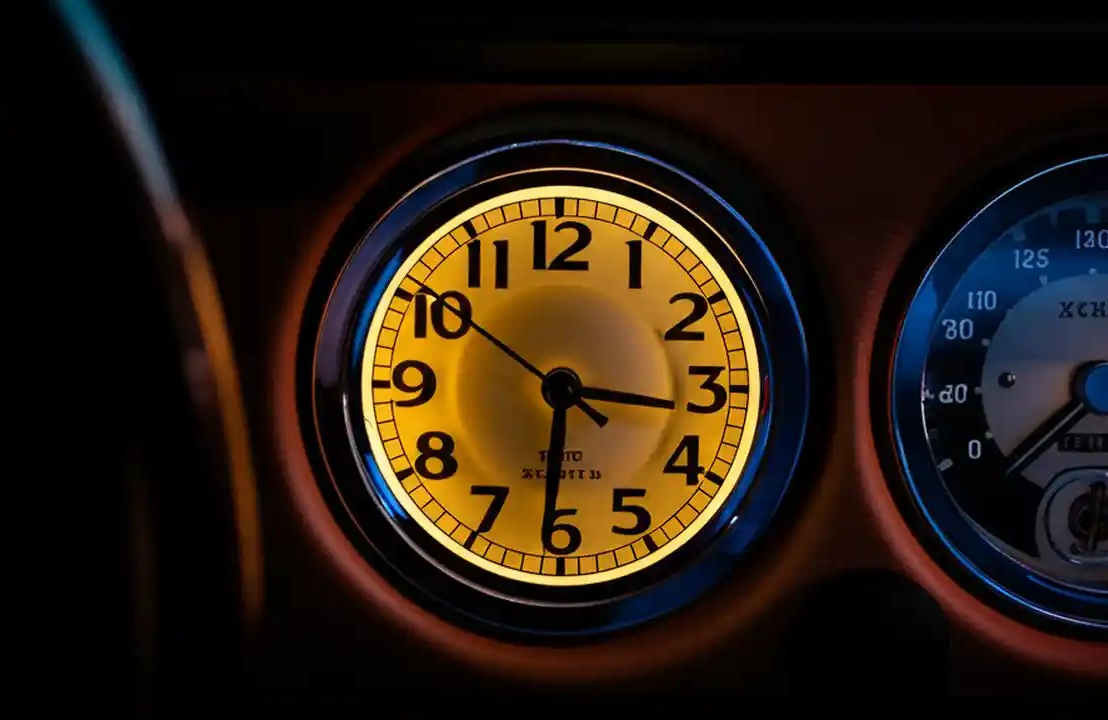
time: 6:16
